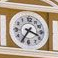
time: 3:35
